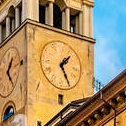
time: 1:25
